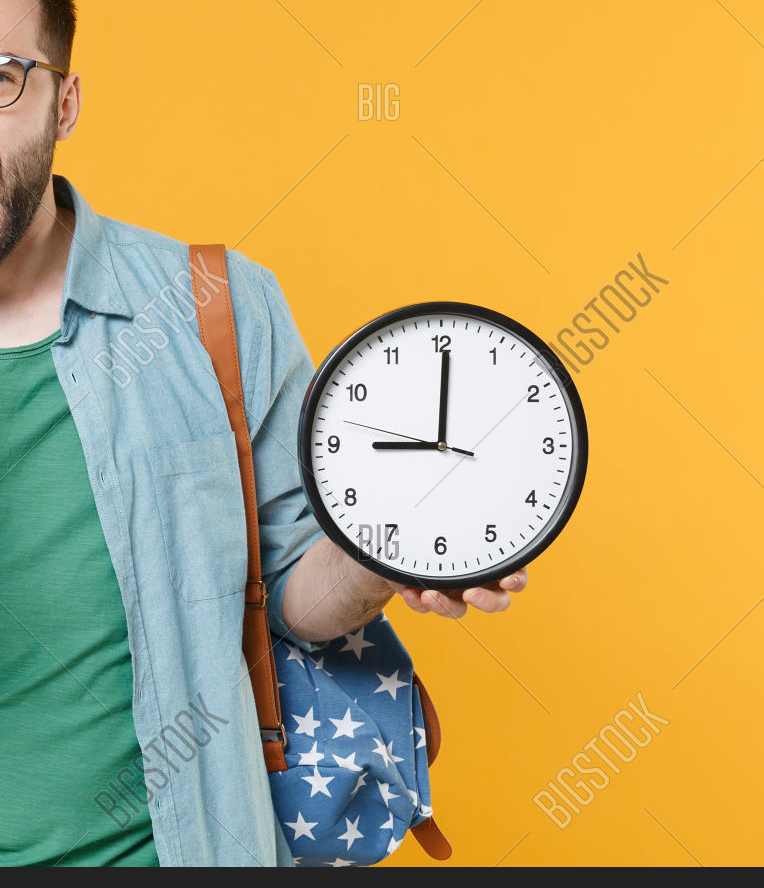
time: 9:00
